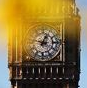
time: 12:47
